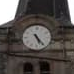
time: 5:24
